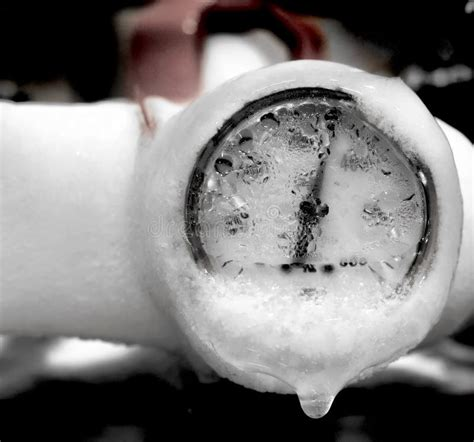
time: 6:01
